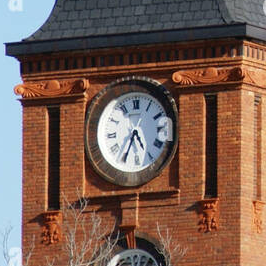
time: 4:34
